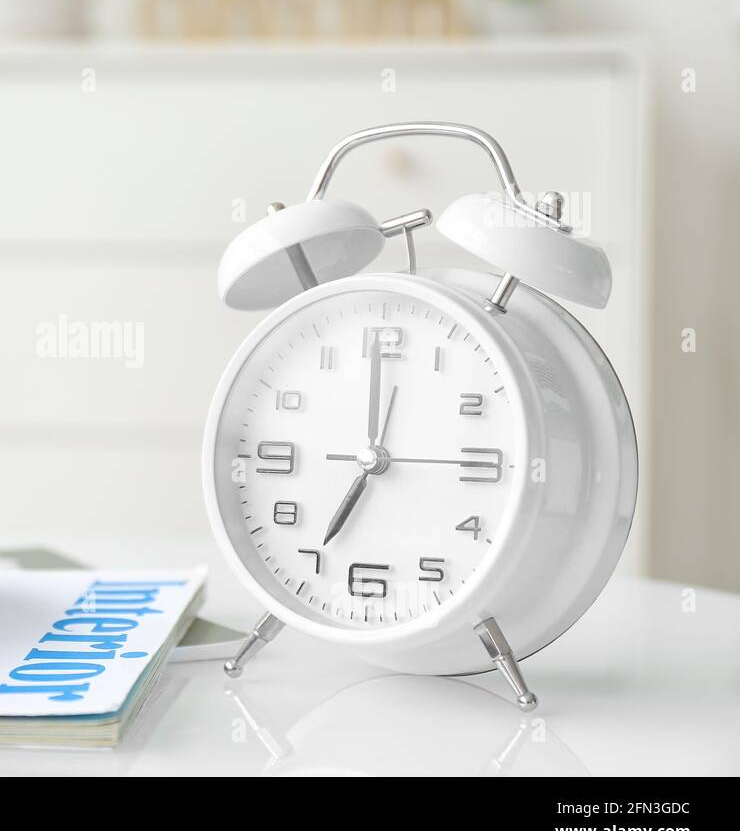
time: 6:59
